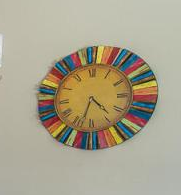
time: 4:32
